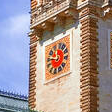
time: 11:46
